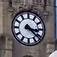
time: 3:22
